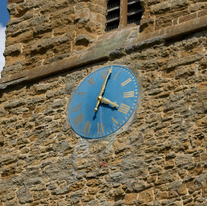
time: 4:02
